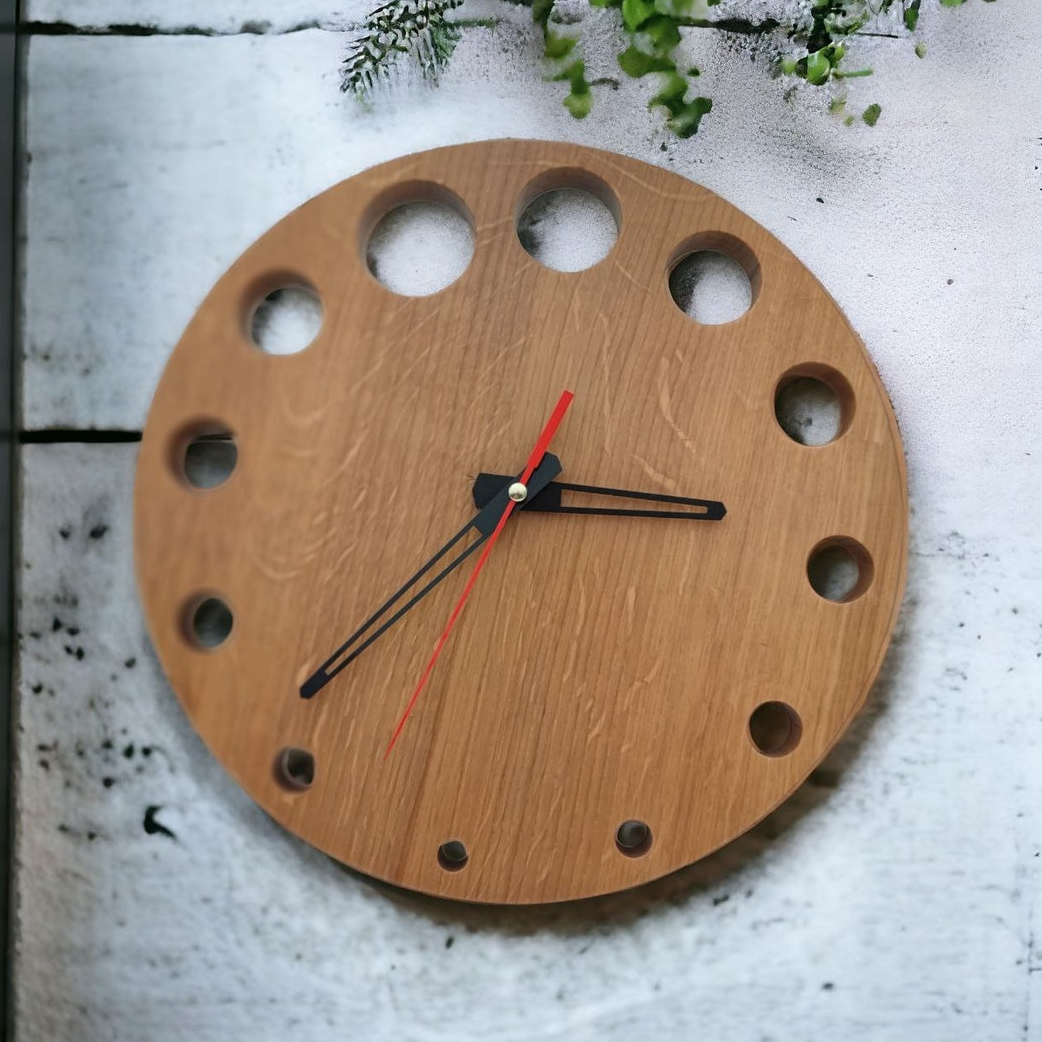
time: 2:36
